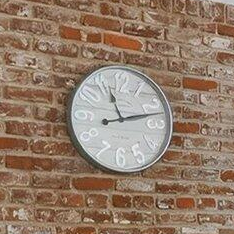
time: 11:12
